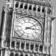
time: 3:09
